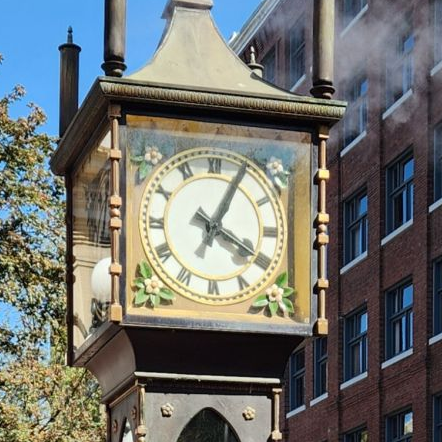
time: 4:04
